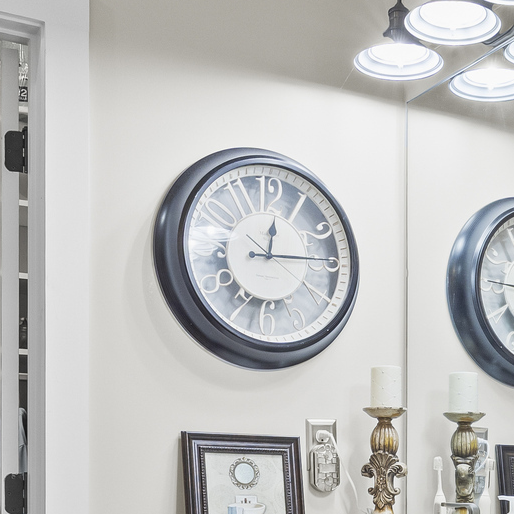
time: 12:14
